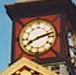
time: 8:12
